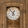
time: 12:53
